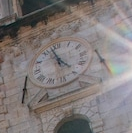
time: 4:57
